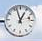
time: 12:57
